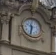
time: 11:32
